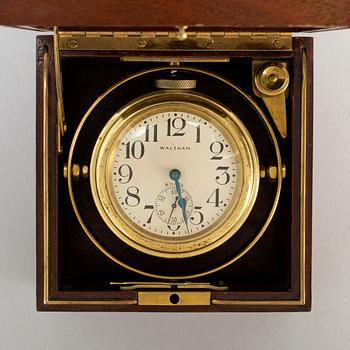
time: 5:27
